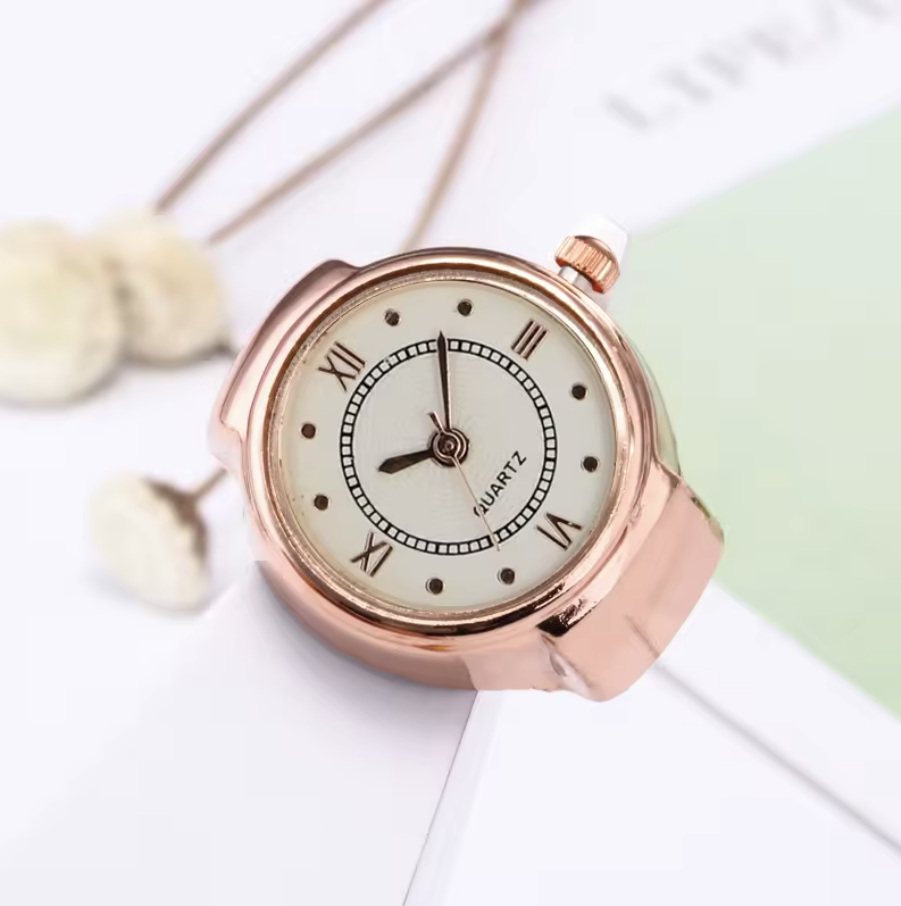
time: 7:58
